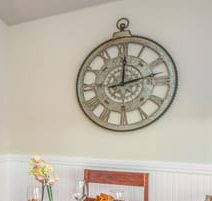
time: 12:12
